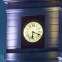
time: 6:18
